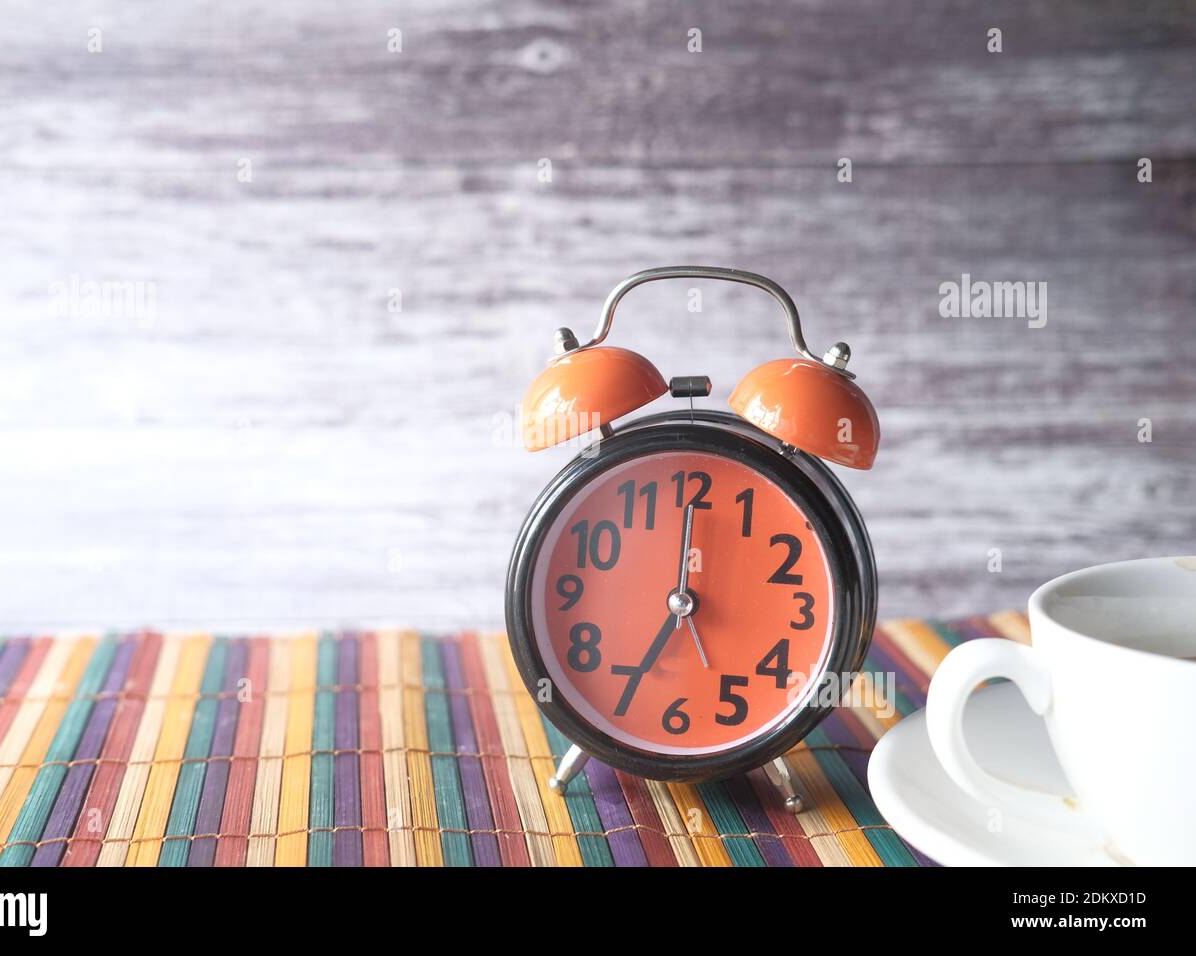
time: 7:00
